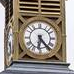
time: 6:23
